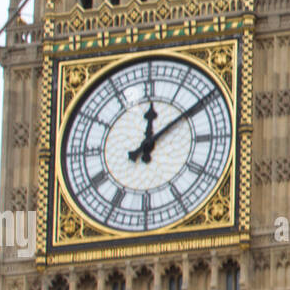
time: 12:09
